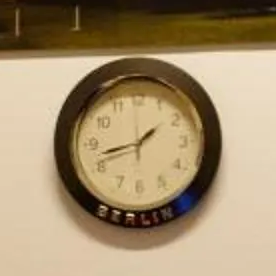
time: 1:42
